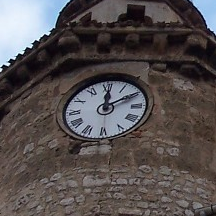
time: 12:09
